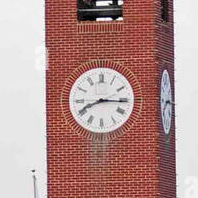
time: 8:15
